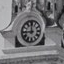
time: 11:44
